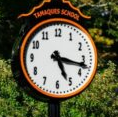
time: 5:17
